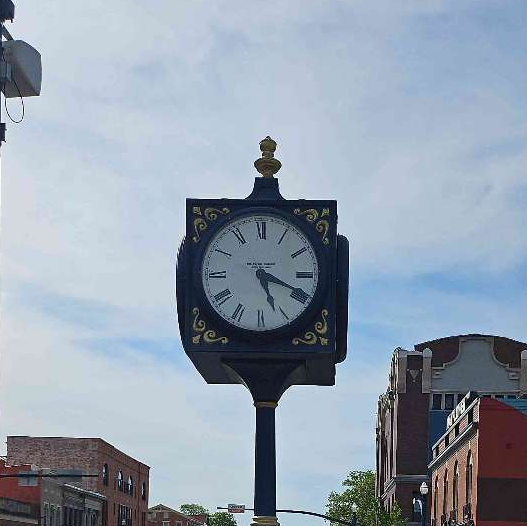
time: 5:18
